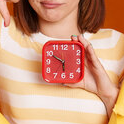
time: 5:49
